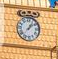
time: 1:08
